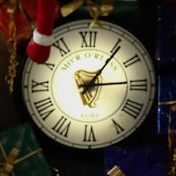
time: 1:14
